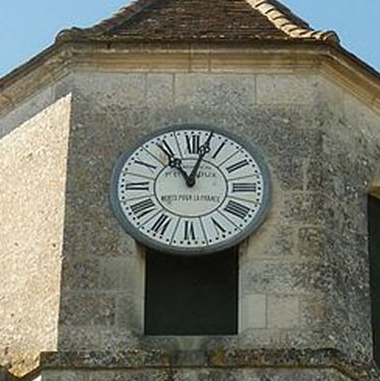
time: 11:02
